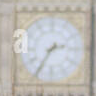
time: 2:35
